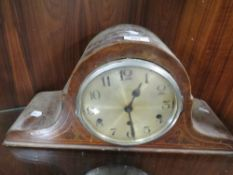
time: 12:28
